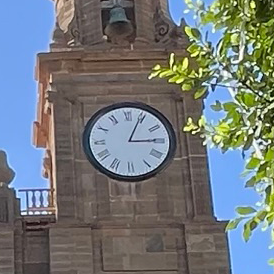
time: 3:04
